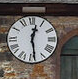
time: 12:28
